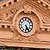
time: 5:24
